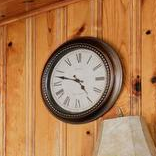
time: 4:47
